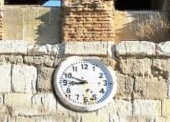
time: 8:48
